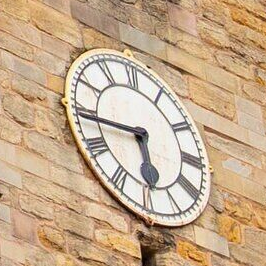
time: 5:44
